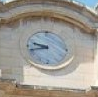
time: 9:42
